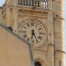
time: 6:25
